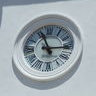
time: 2:56
